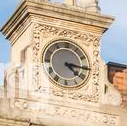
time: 4:15
